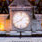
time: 8:07
